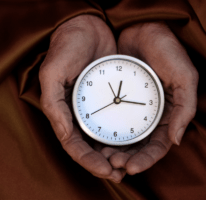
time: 12:15
